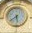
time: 5:38
